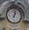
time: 1:01
